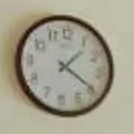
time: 1:19
